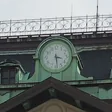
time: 3:28
